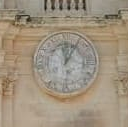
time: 12:05
